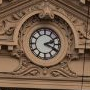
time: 2:19
